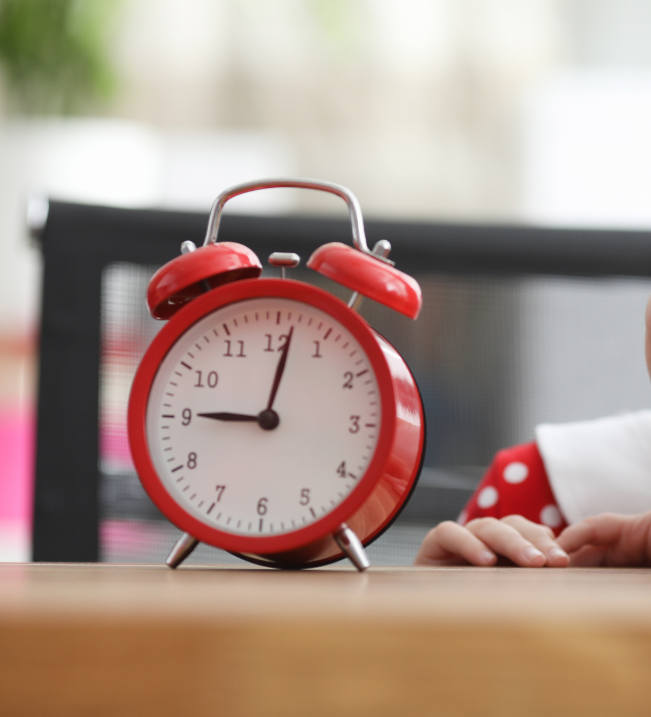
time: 9:01
